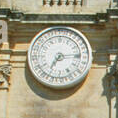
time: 7:14
